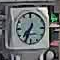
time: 7:34
